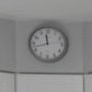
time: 11:42
